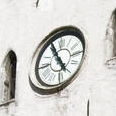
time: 4:55
